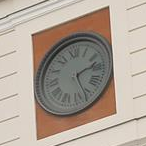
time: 2:26
